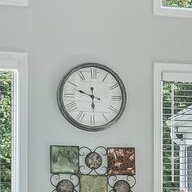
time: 5:48
